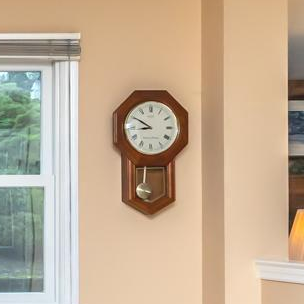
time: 8:51
